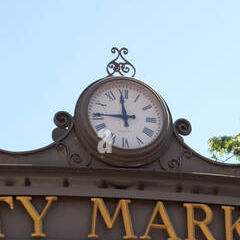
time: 11:45
